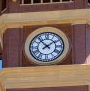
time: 1:52
